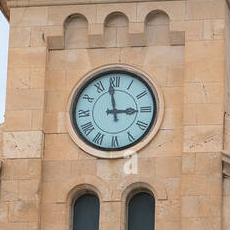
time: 2:58
